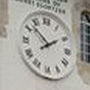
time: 1:52
